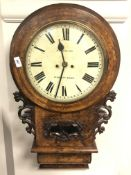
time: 11:32
